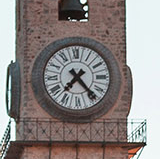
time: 7:23
